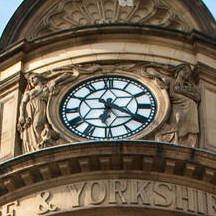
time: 6:20
